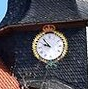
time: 9:53
